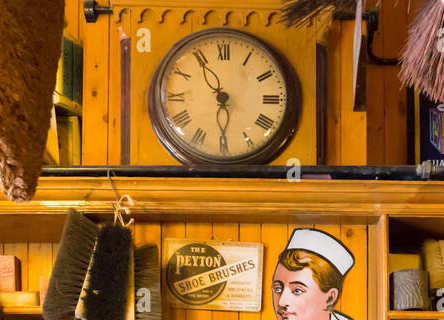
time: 5:54
